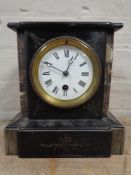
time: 12:49
